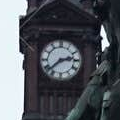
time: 2:38
